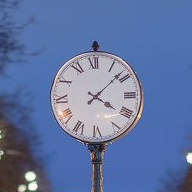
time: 4:08
